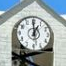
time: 12:59
